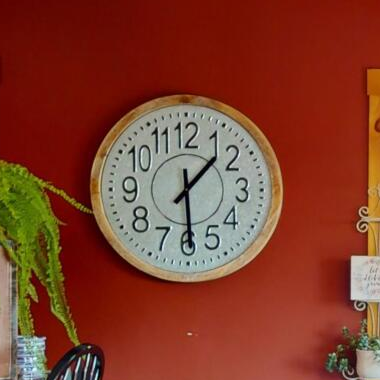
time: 1:29
